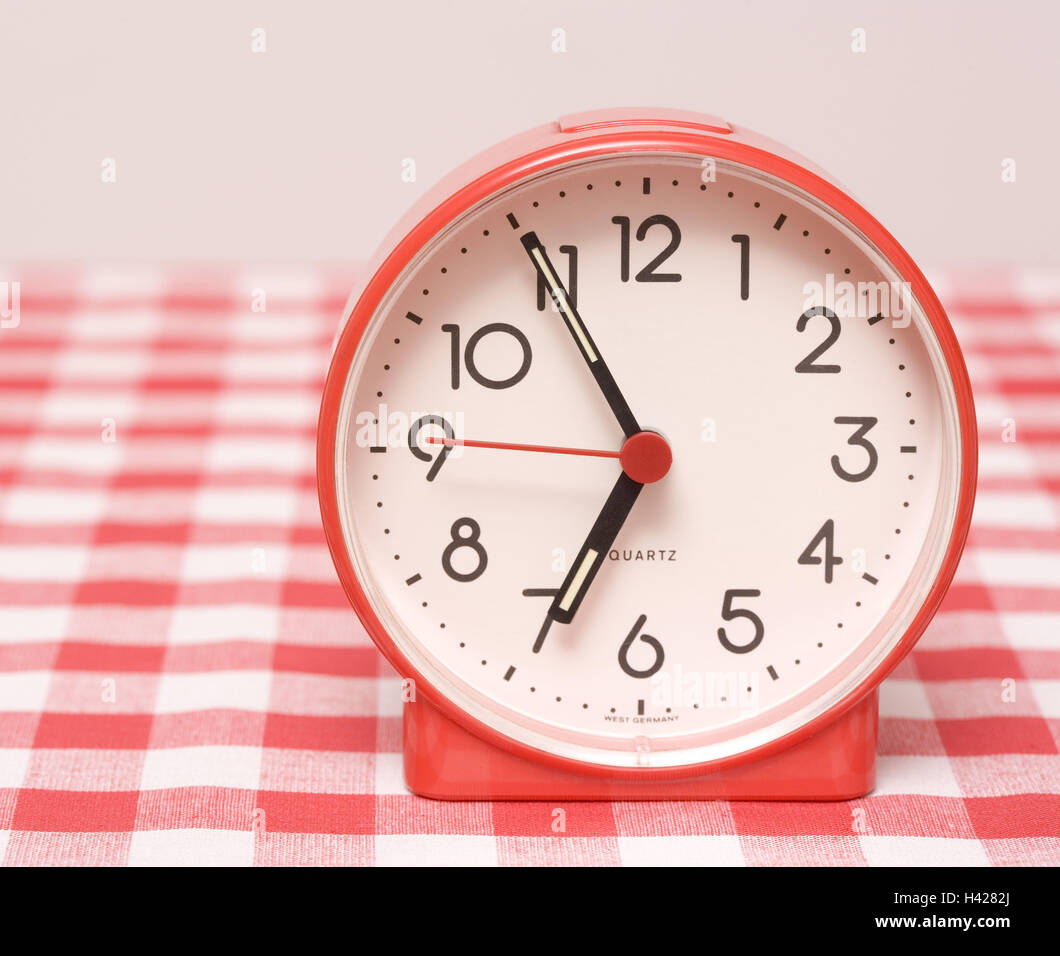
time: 6:55
